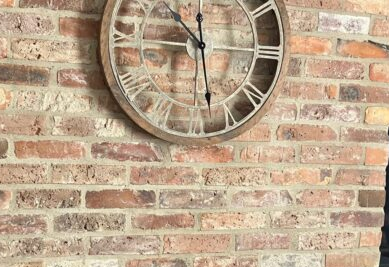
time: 10:28
